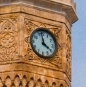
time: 3:58
